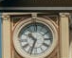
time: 10:33
